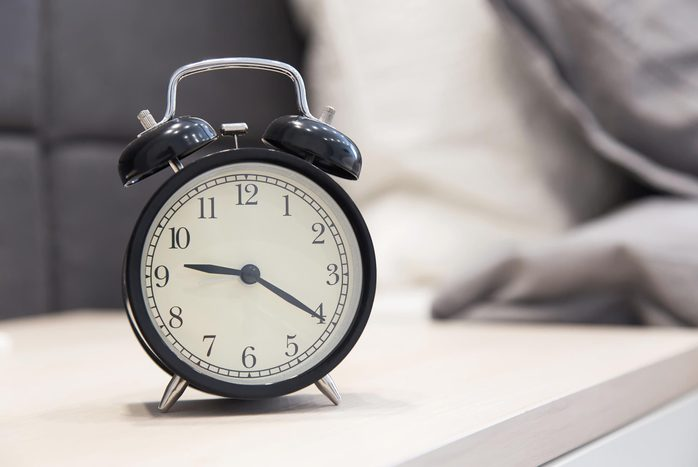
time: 9:20
